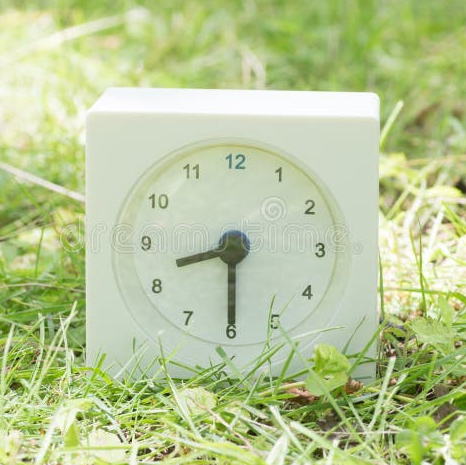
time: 8:29
